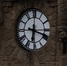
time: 6:18
